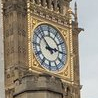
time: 2:52
